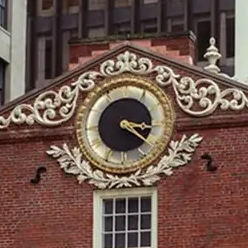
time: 3:21
